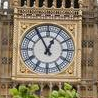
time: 12:55
